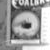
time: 3:43
